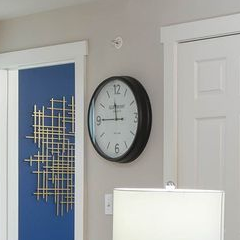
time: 11:45
